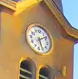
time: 5:09
